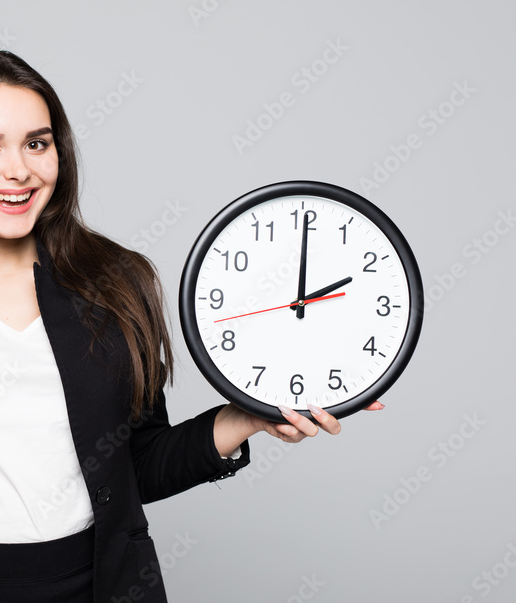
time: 2:00
